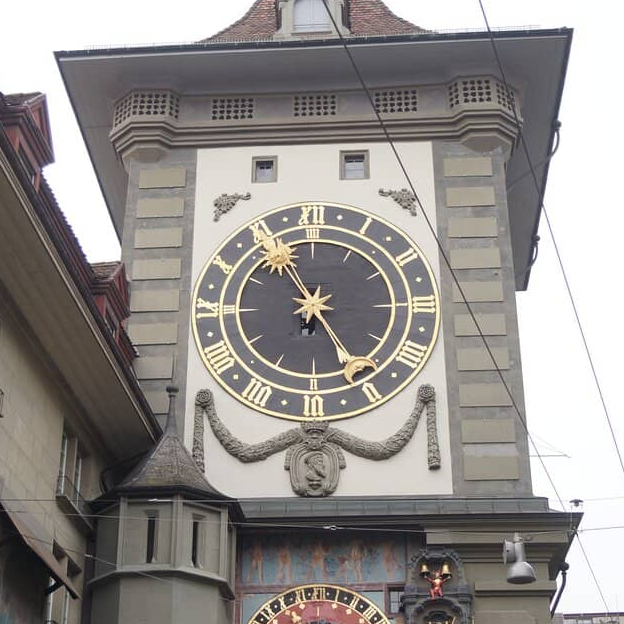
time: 4:55
